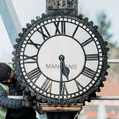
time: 5:30
